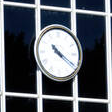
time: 10:20
